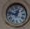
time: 12:47
